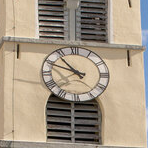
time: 10:48
